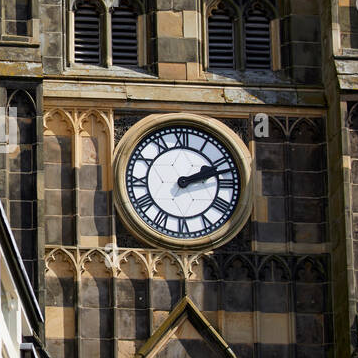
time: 2:12
